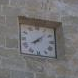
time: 8:07
